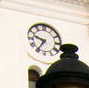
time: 9:35
